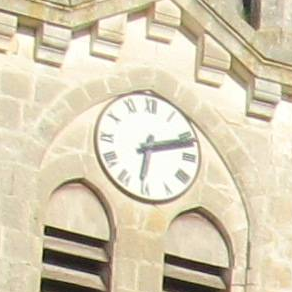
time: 6:11
